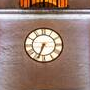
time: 6:33
